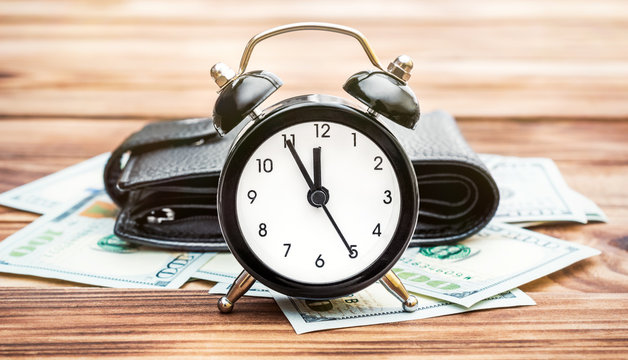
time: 11:55
